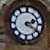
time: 2:20
